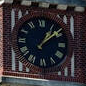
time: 1:08
